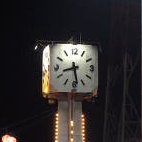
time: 8:28
